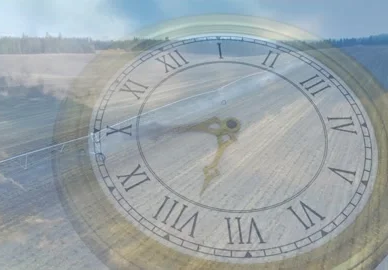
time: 6:44
